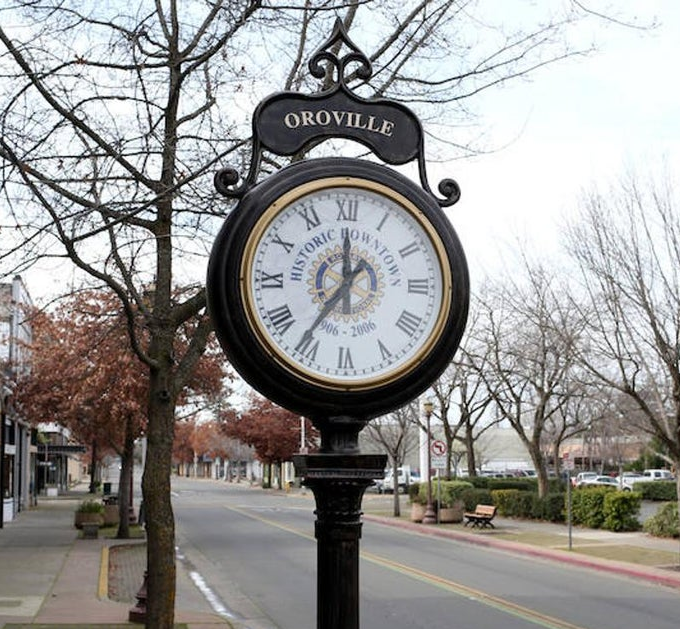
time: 11:35
